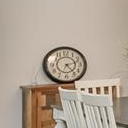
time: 2:23
